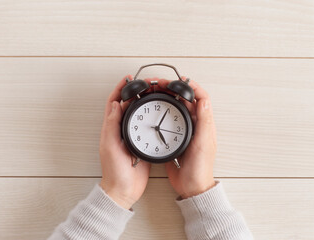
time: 5:04
